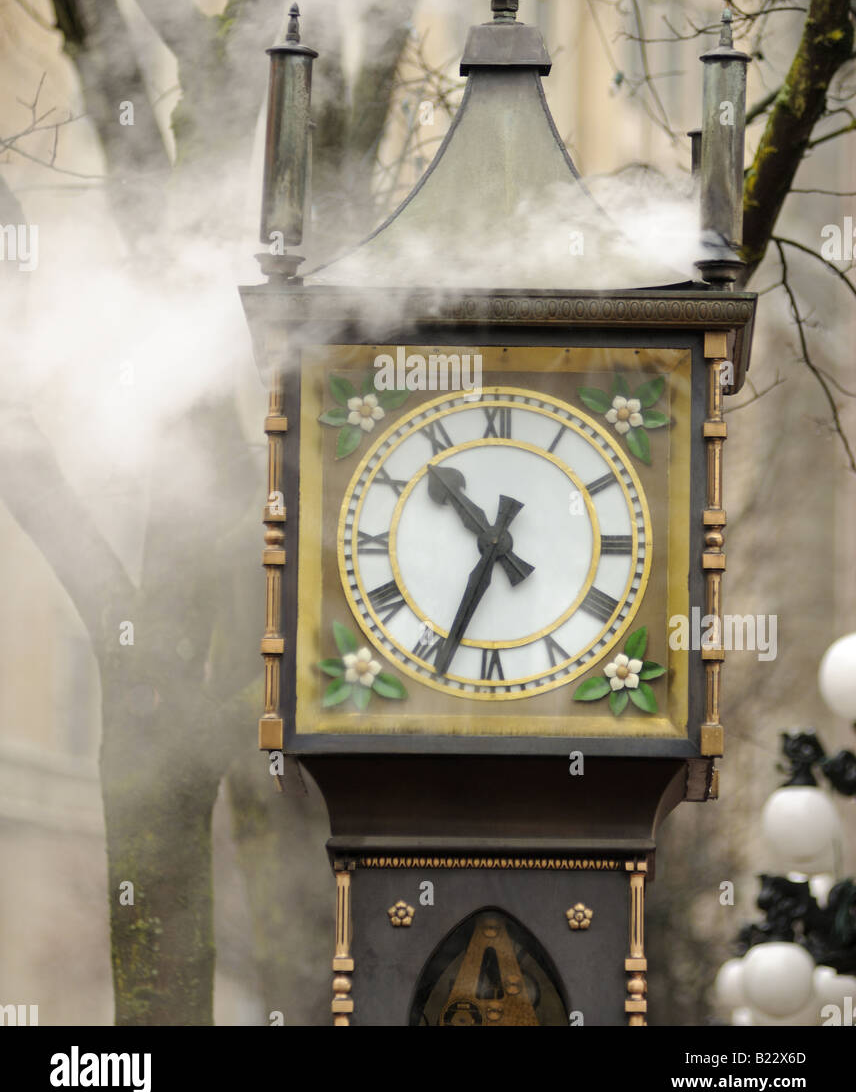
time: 10:33
